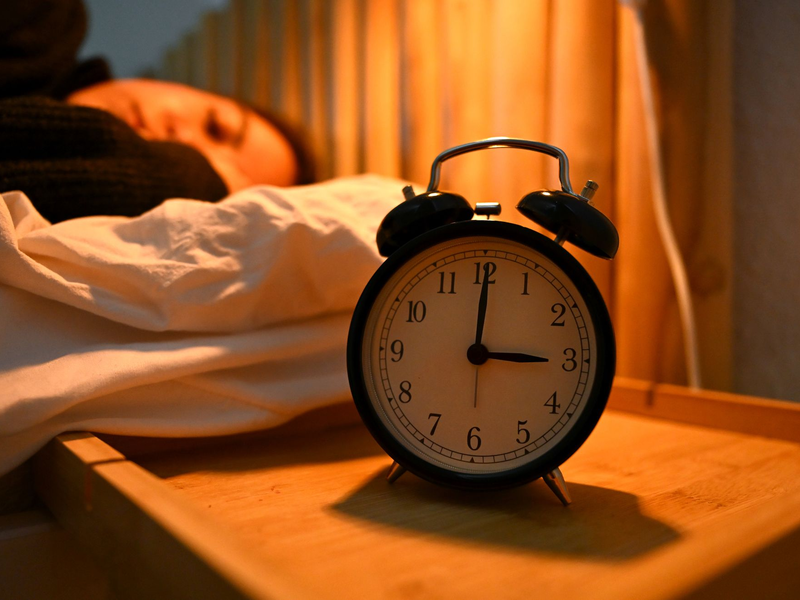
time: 3:00
